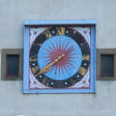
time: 7:38
